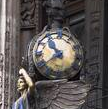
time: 10:39
